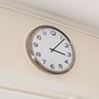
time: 3:06
